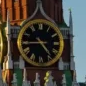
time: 4:44
